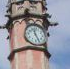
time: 11:25
